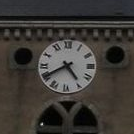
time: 4:40
